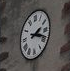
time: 2:18
